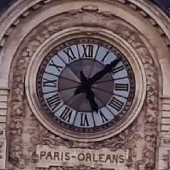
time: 5:08
